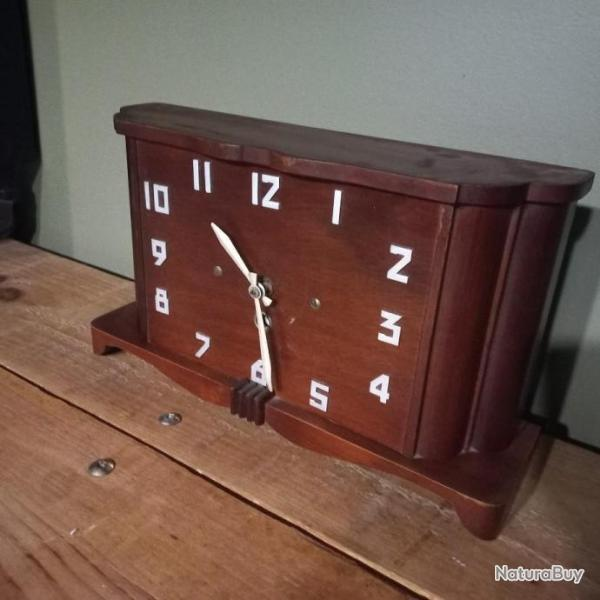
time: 10:28
